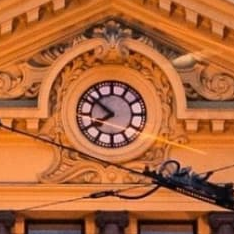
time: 7:51
